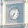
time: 7:03
